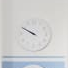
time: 9:50
